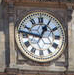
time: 12:46
